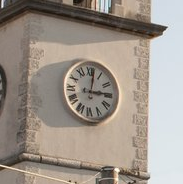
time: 3:01
